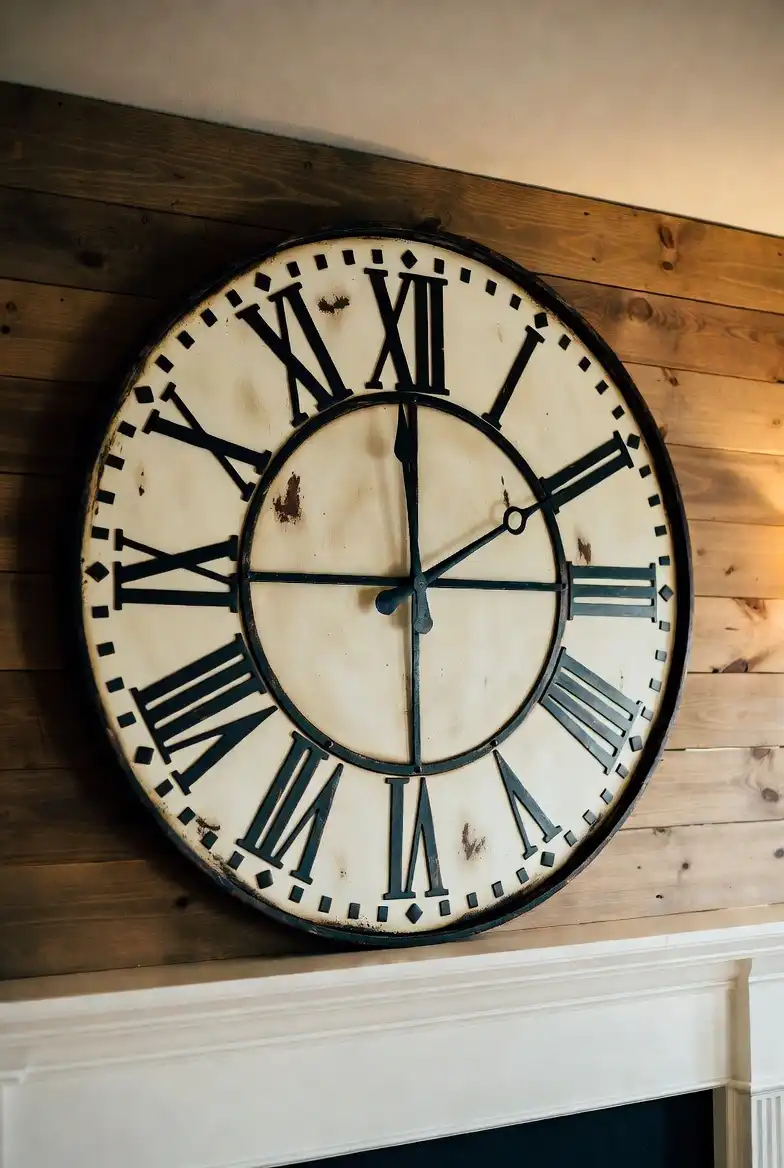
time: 1:59
